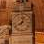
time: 8:03
